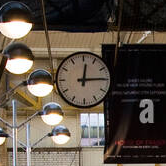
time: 12:14
